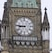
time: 8:45
